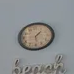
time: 1:28
